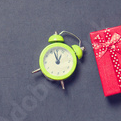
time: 12:57
